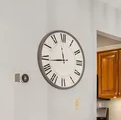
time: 11:43
